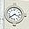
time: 3:39
